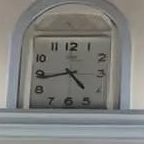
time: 4:43
